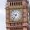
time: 9:36
